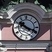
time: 10:18
